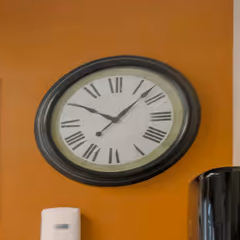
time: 10:07
